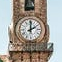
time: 2:01
